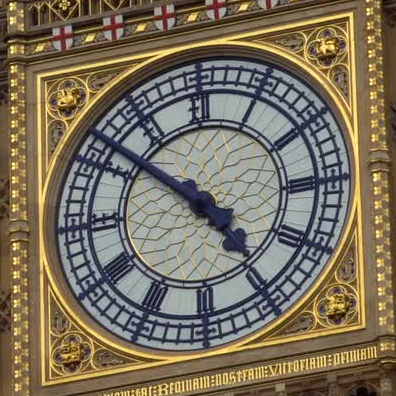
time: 4:51
